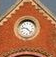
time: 9:22
